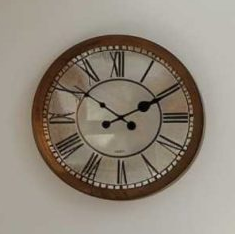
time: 1:50
